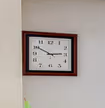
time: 2:50
